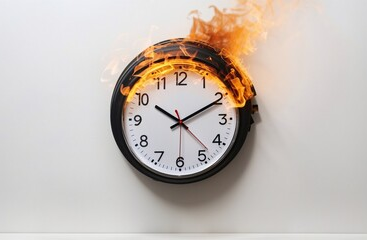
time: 10:10
